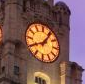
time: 8:06
